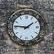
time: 1:46
